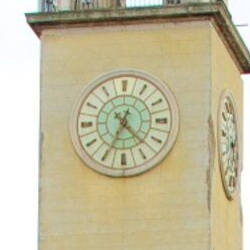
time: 4:34
